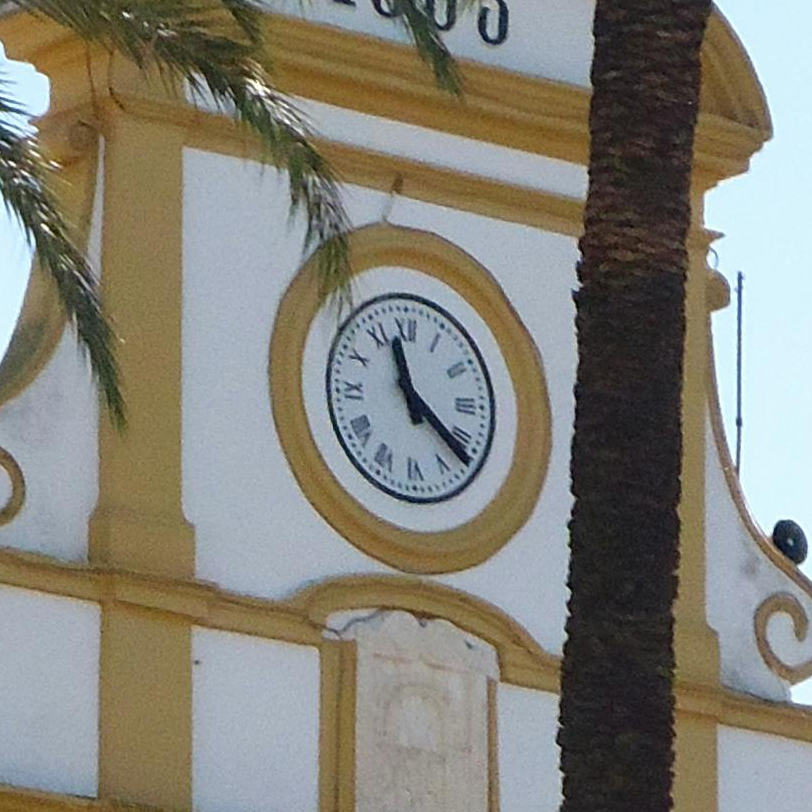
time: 11:21
